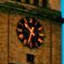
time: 10:33
